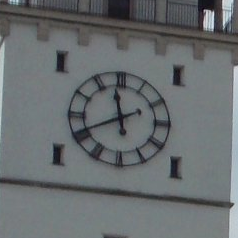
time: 11:40
